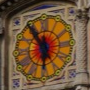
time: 5:54
